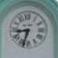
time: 8:33
